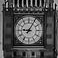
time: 9:05
